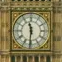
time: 11:30
